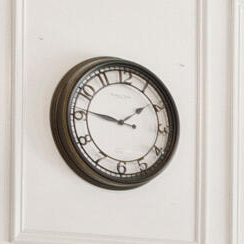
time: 1:46
